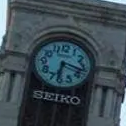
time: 6:17
